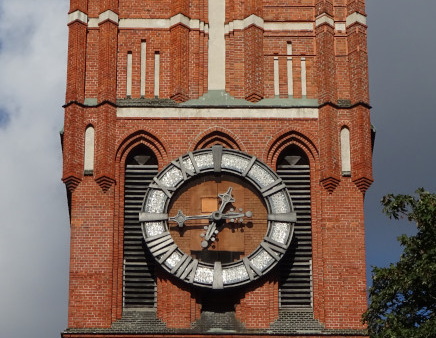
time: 12:44
